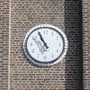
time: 10:55
